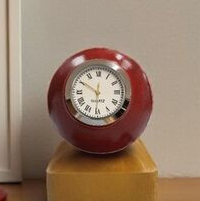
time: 11:50
